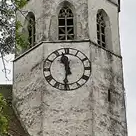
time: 11:31
